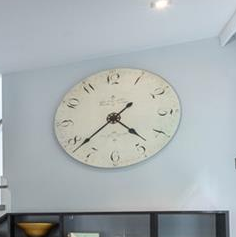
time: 4:38
